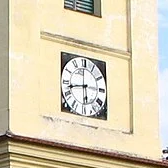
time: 5:42
